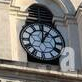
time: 12:05
